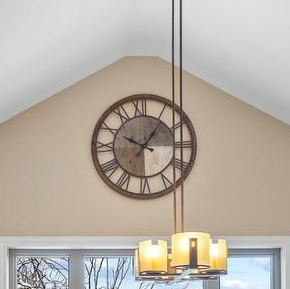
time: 10:06
